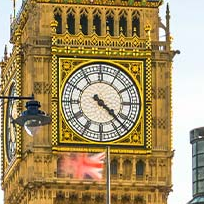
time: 4:22
